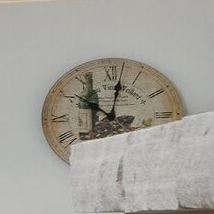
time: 10:02
